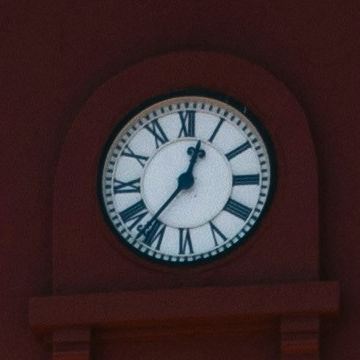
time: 12:36
